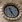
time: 11:25
